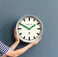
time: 1:49
